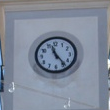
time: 11:23
